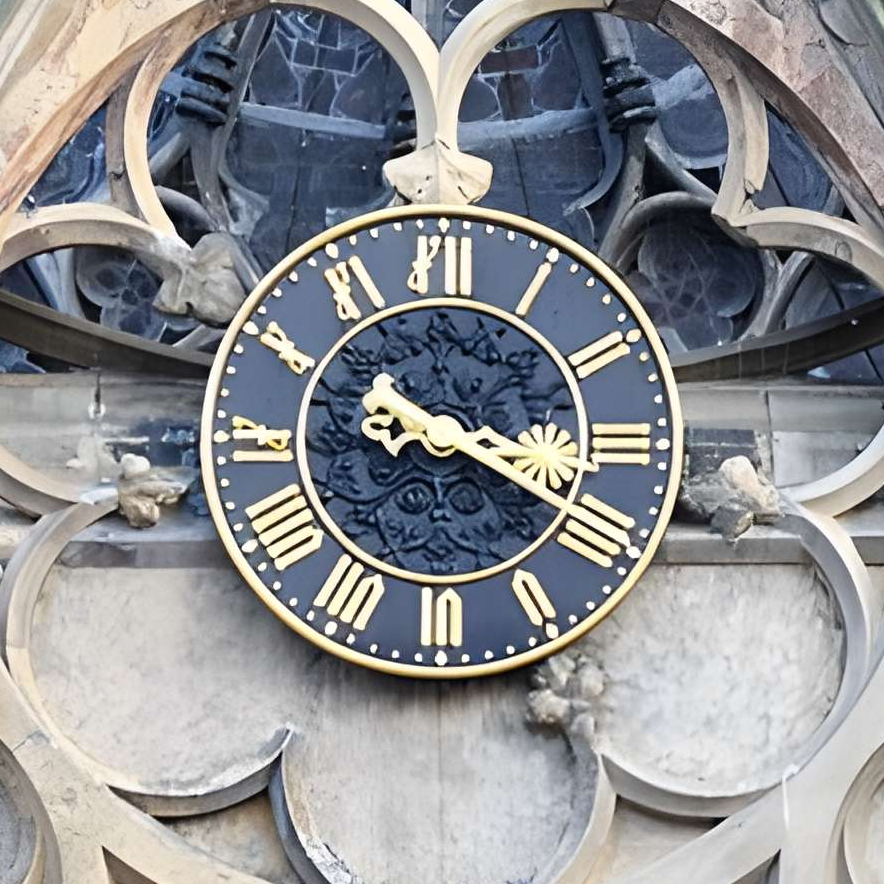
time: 10:19
